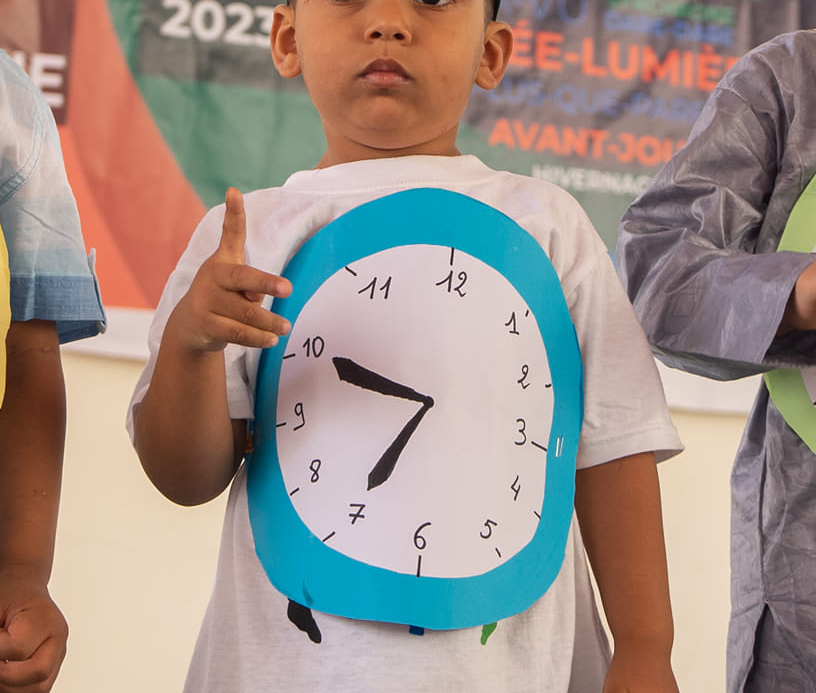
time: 6:48
